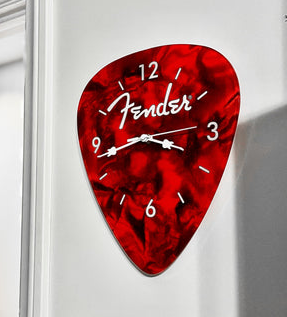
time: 3:43
